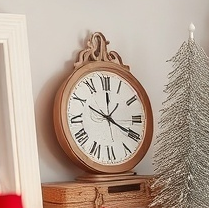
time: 12:19
